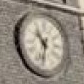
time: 10:32
